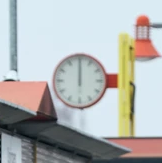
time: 12:00
